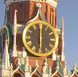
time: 6:00
